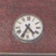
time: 4:34
